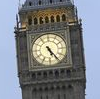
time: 5:24
